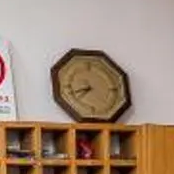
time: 7:41
